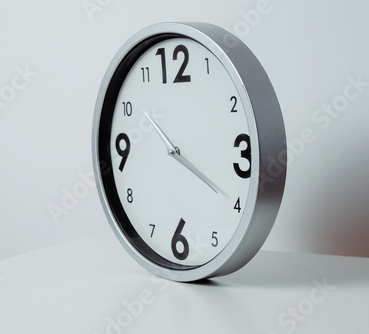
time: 10:20
